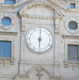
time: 6:00
